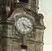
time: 5:18
